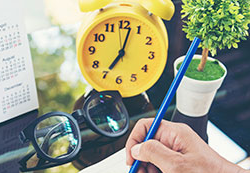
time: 7:02
